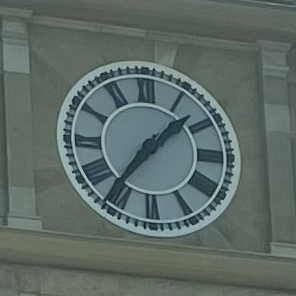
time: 1:36
